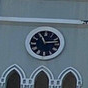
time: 11:13
